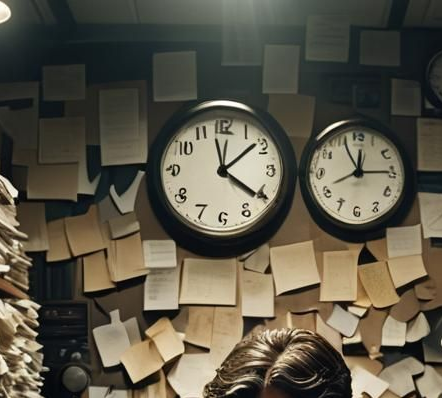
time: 4:08
